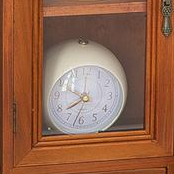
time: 7:48
